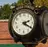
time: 2:20
